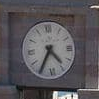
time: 4:35
